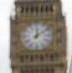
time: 12:09
